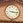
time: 3:16
